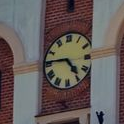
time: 4:45
